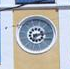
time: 7:12
